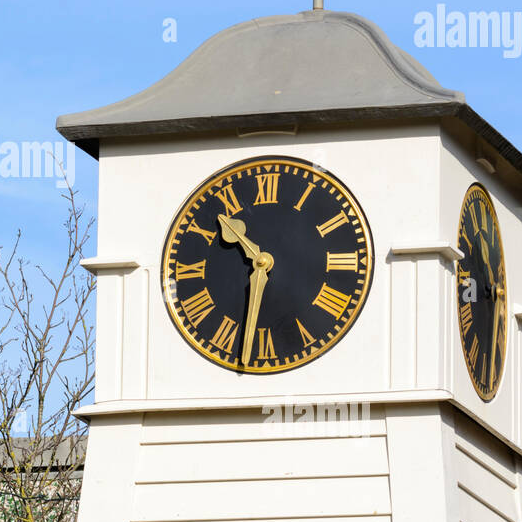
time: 10:31
